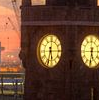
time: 5:33
